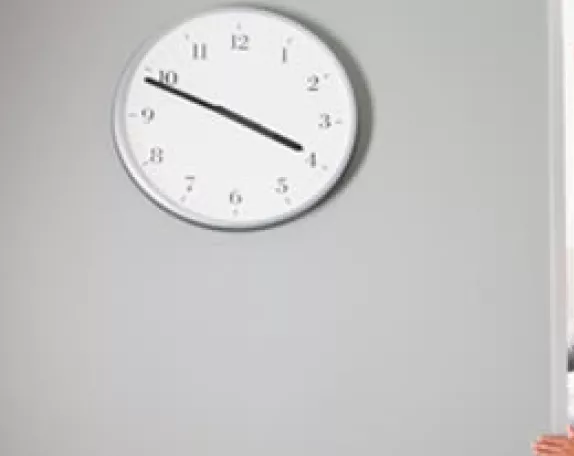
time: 3:48
